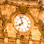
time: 7:57
